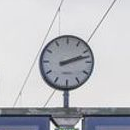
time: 2:12
